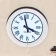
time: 3:58
